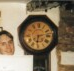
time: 6:12
